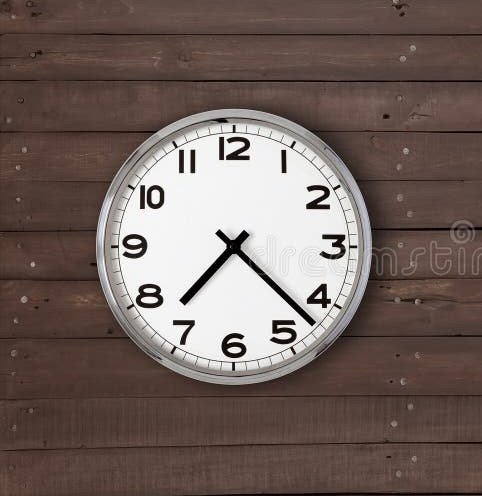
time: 7:22
